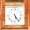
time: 5:24
